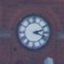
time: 2:18
